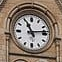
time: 11:13
